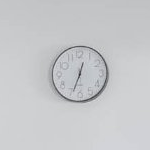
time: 12:33
